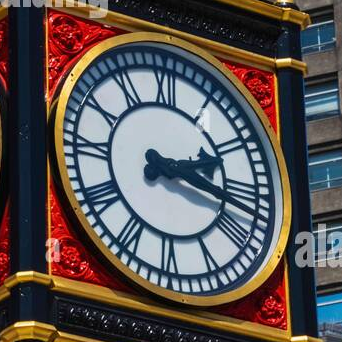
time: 2:17
